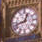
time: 12:42
